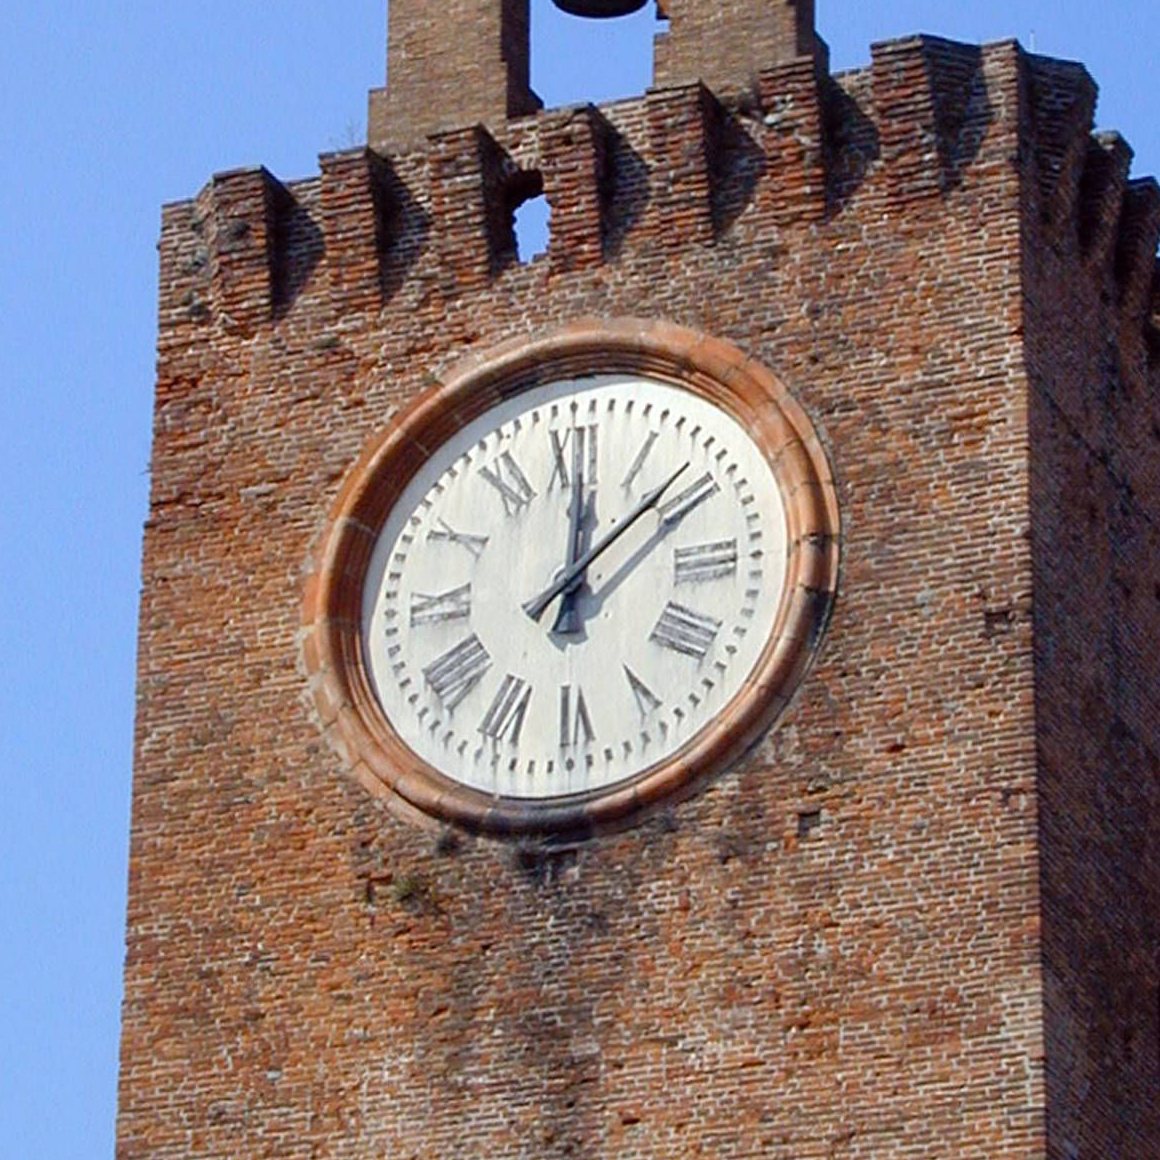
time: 12:07
